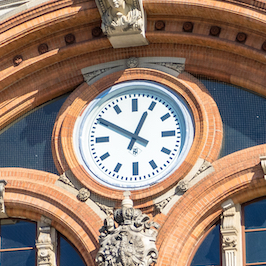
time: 12:49
